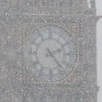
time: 2:23
